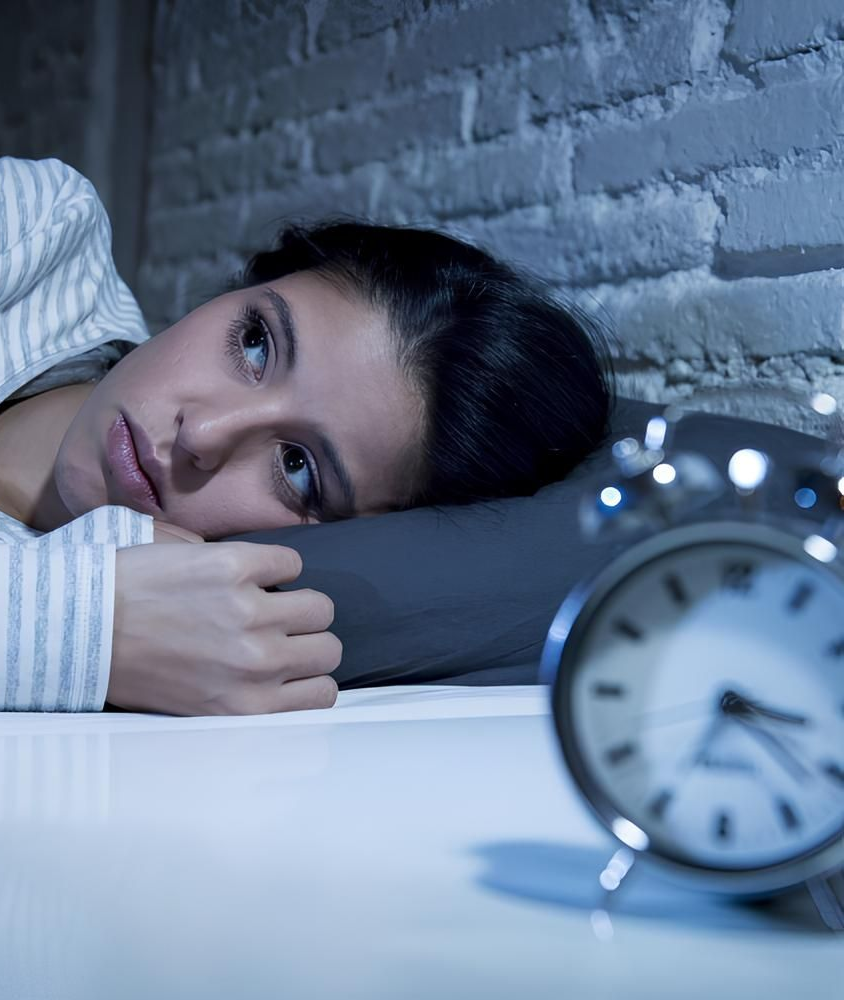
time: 3:22
